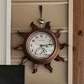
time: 4:13
